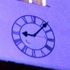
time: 9:07
